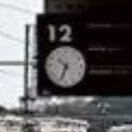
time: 10:34
